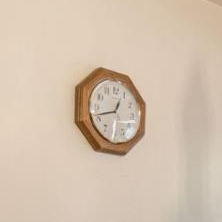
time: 12:41
